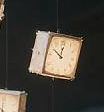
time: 11:50
